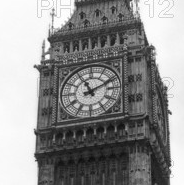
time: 11:10
